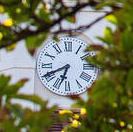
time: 6:40
